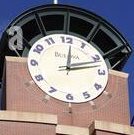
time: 12:12
